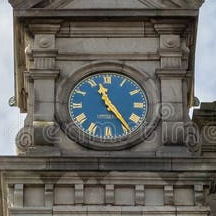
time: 11:24
